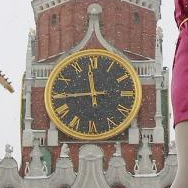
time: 11:44
